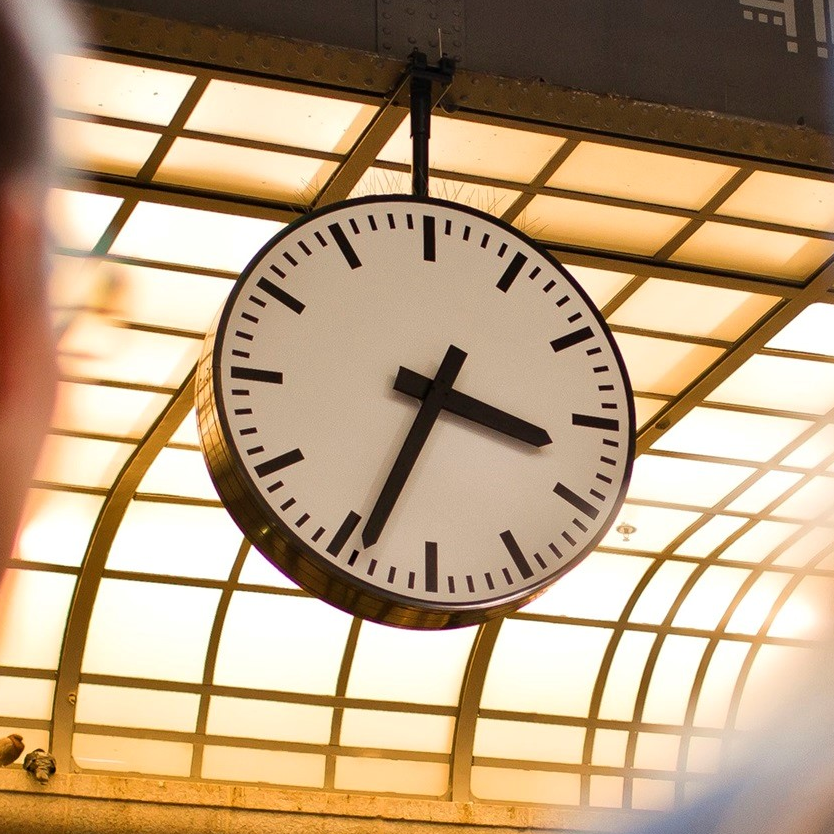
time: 3:34
